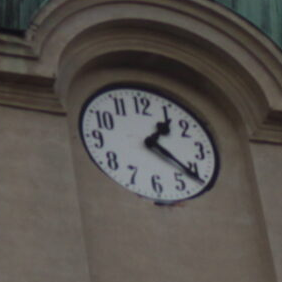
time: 1:21
